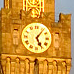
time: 5:06
